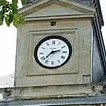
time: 2:37
